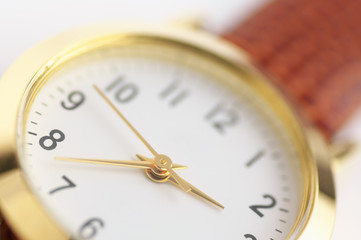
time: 4:47
